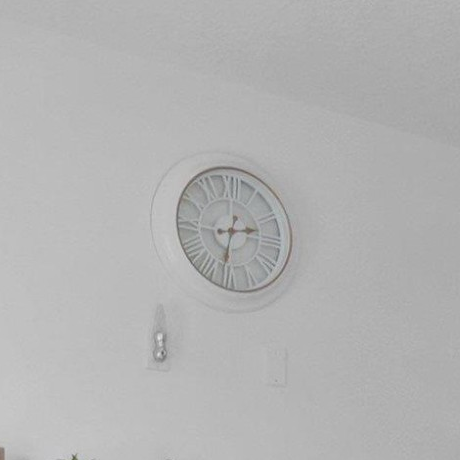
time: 2:32
